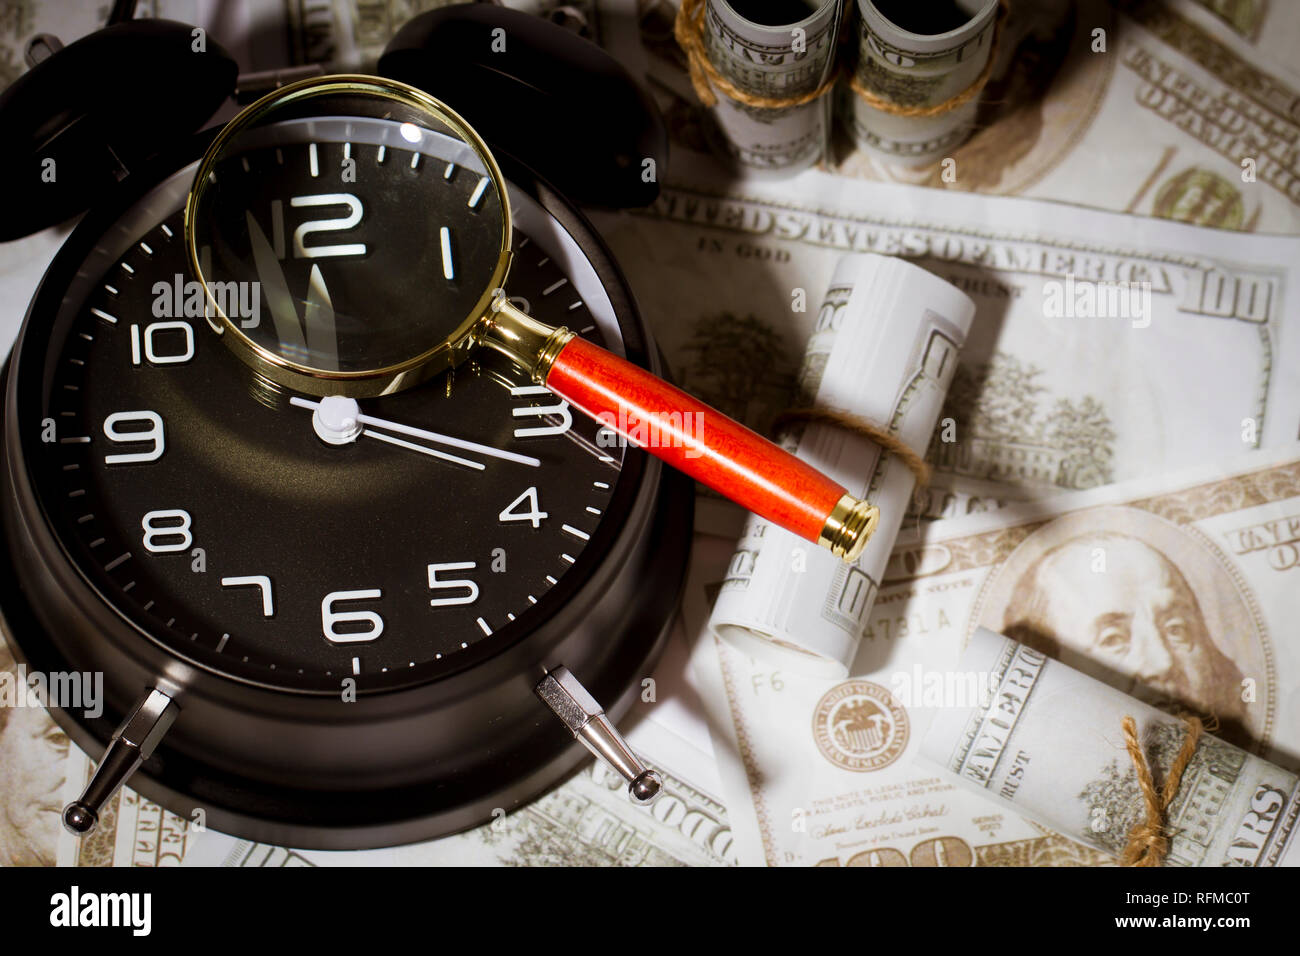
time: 11:17
